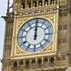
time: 12:00
